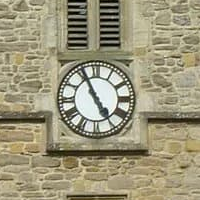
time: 4:55
